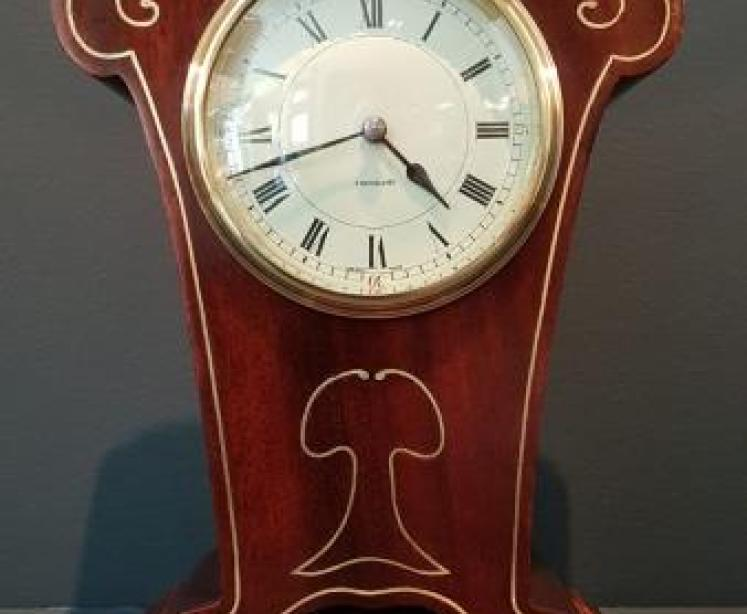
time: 4:42
